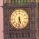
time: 5:31
